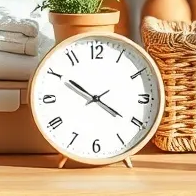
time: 10:20
